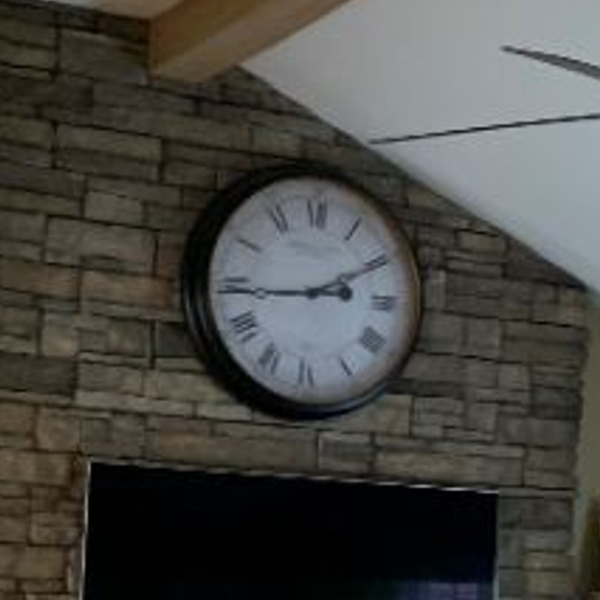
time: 3:10
